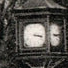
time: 3:17
